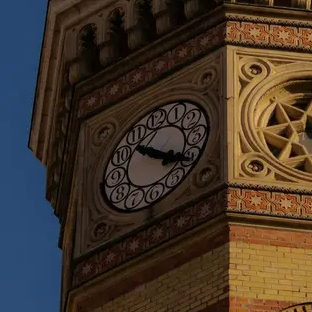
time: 4:20
